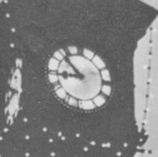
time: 8:52
